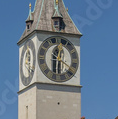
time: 12:30
